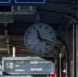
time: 11:18
